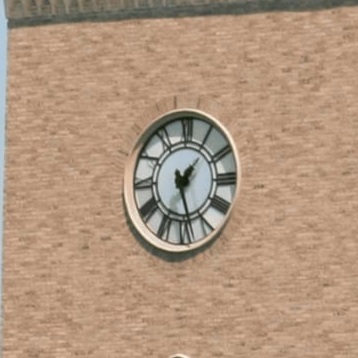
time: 1:28
